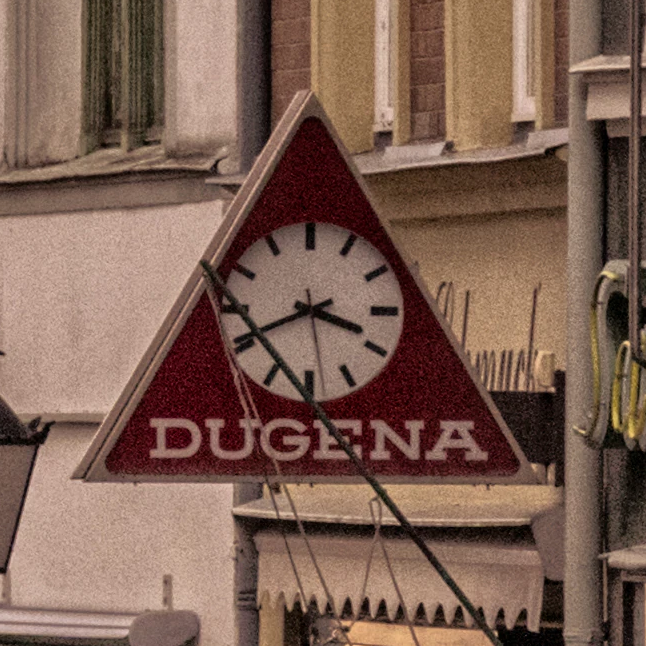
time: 3:40
